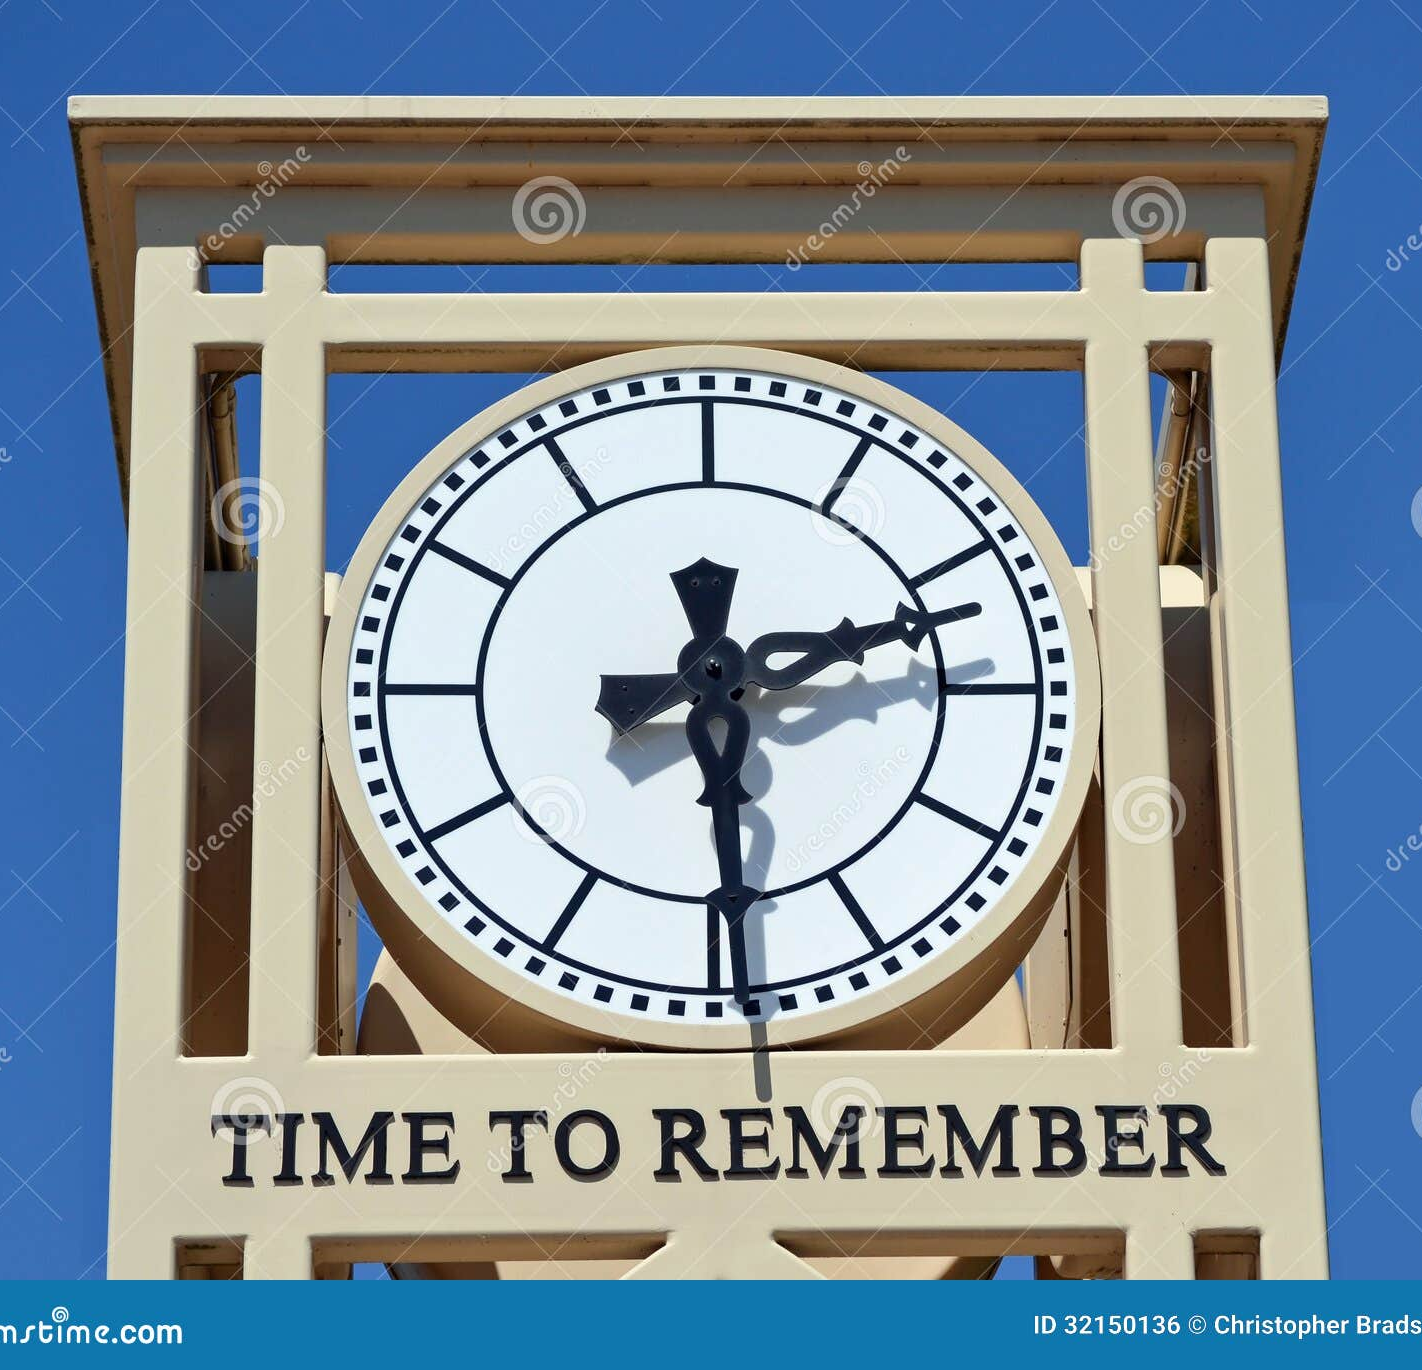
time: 2:29
